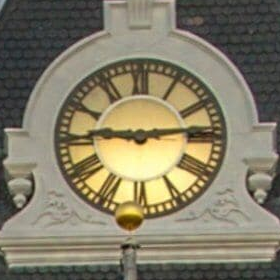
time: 9:13
